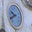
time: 9:40
